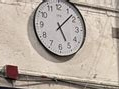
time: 5:07
